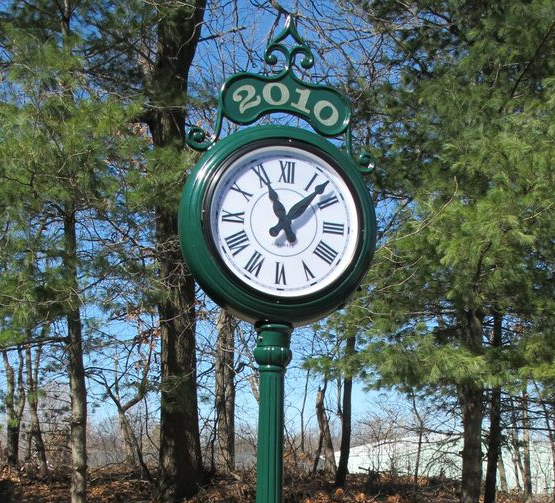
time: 11:07
